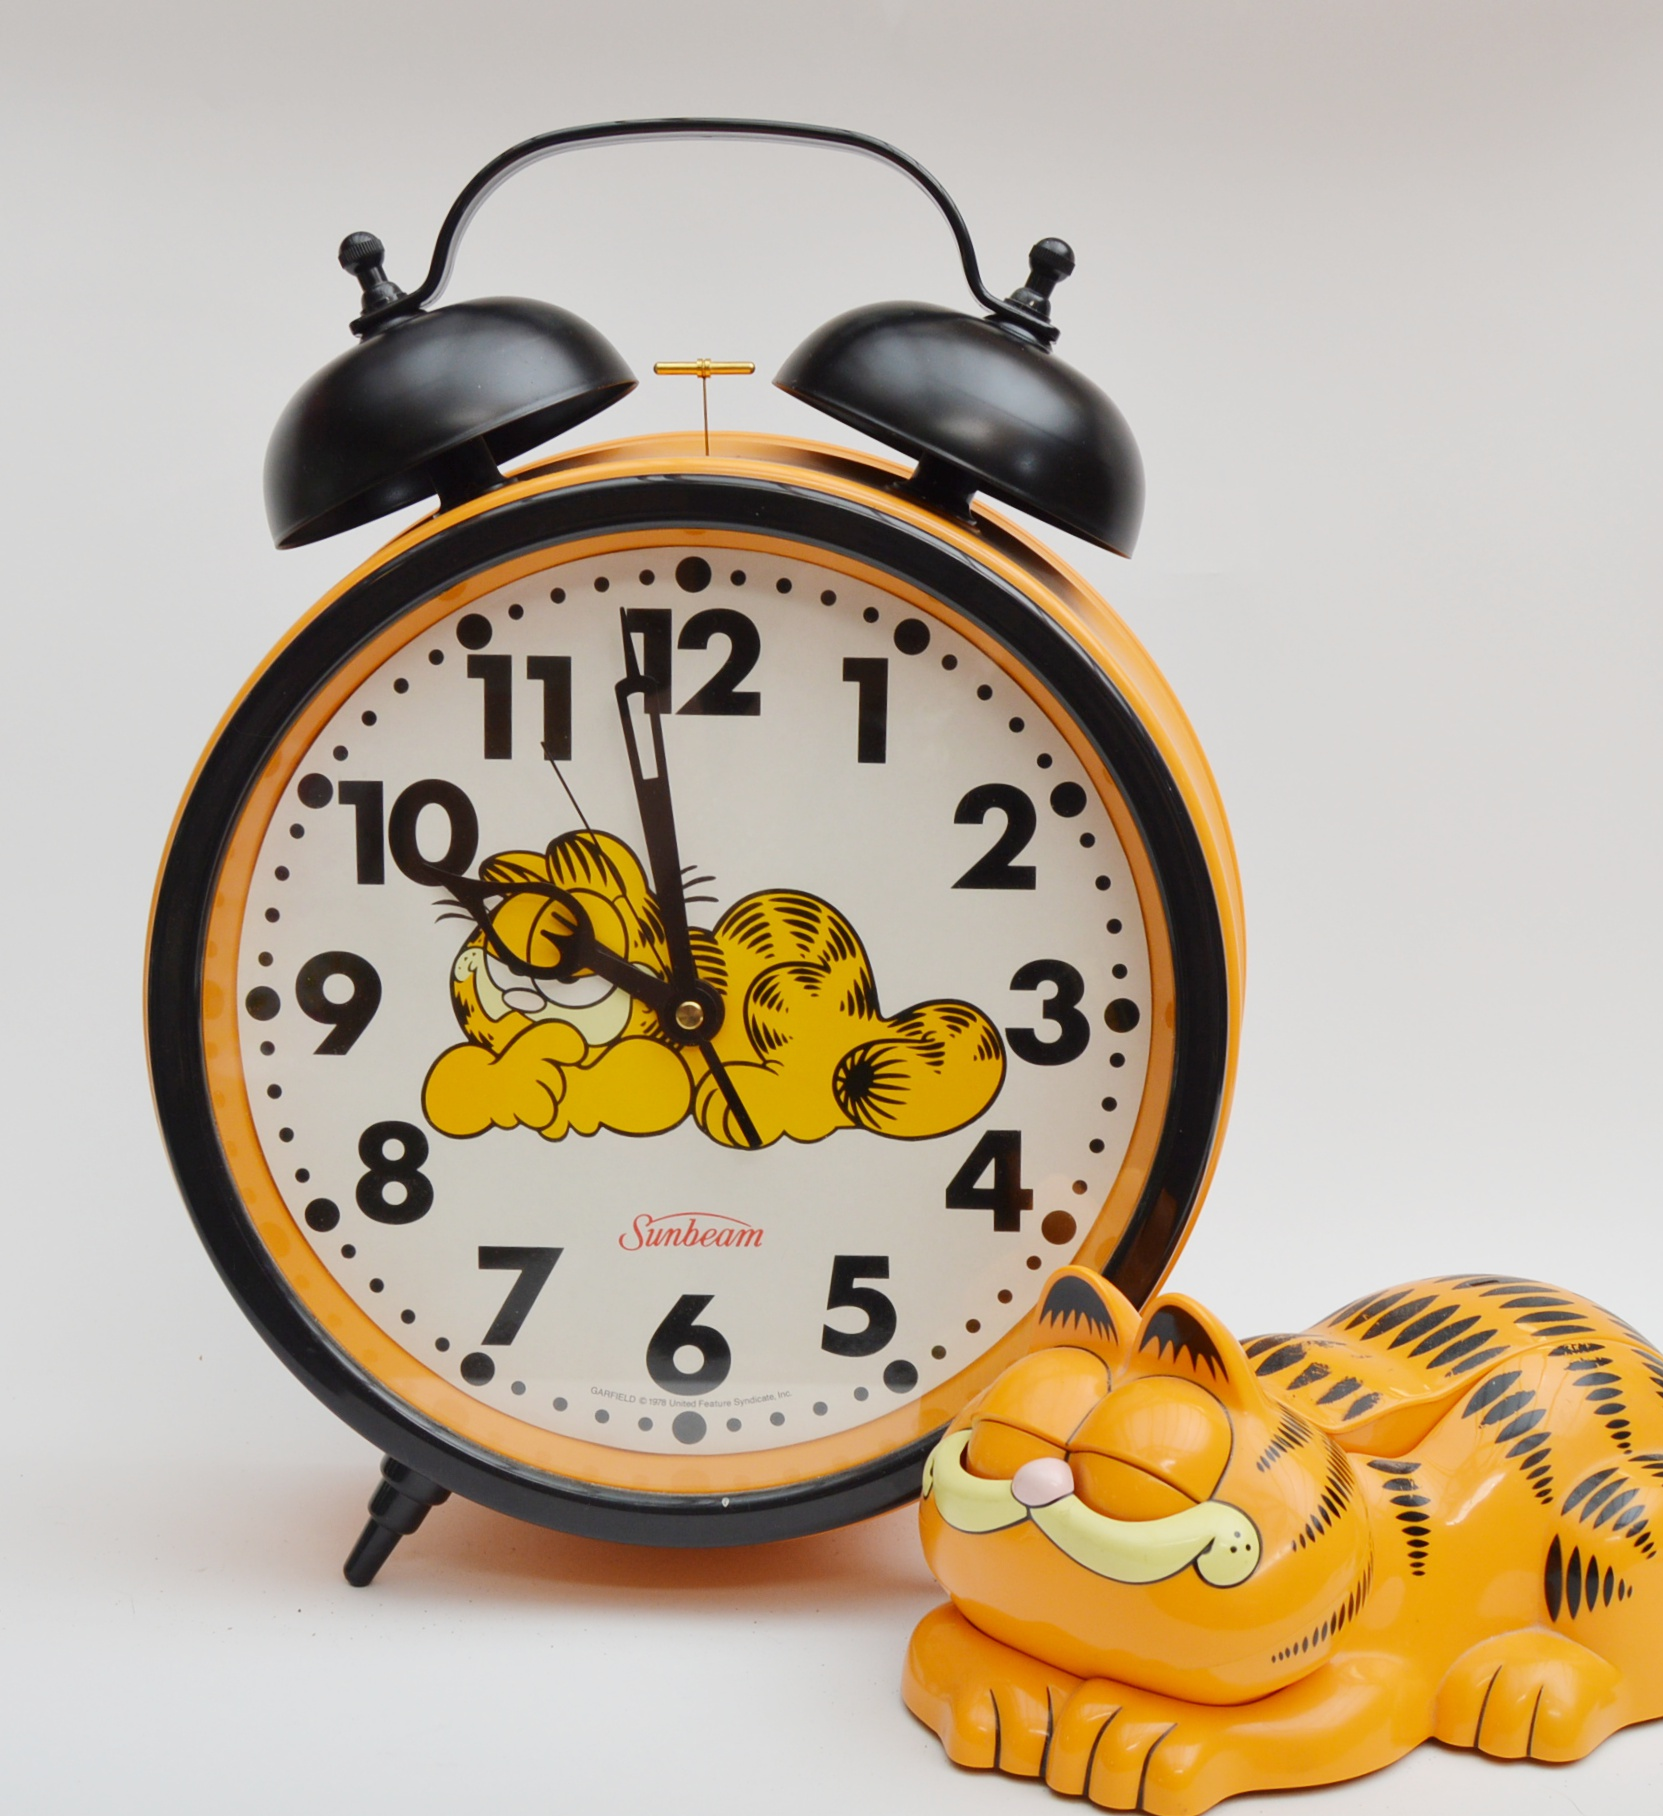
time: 9:58
